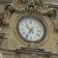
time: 10:35
